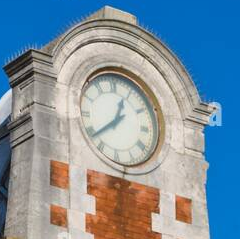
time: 12:38
